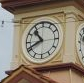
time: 10:41
